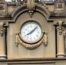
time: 8:07
